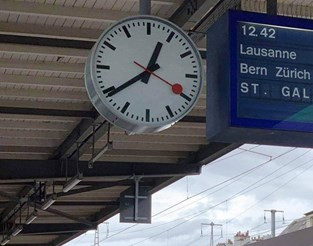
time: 12:39
